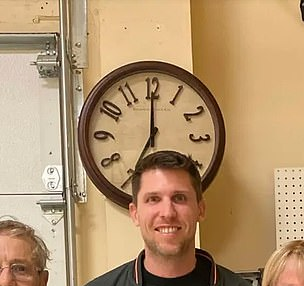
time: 7:00
